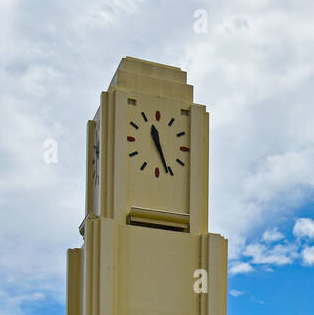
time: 11:25
